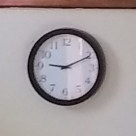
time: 9:10
